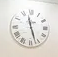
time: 11:27
